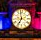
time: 6:58
